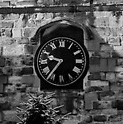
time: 9:36
